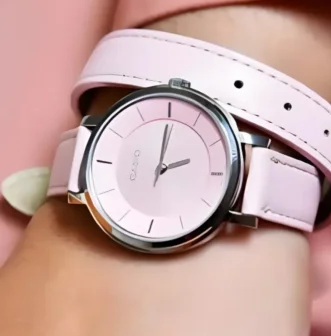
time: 2:00
